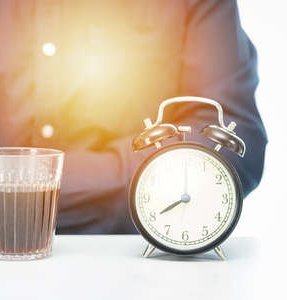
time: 8:00
